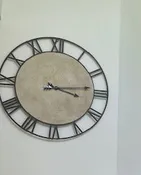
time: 3:13
